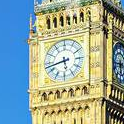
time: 5:42
